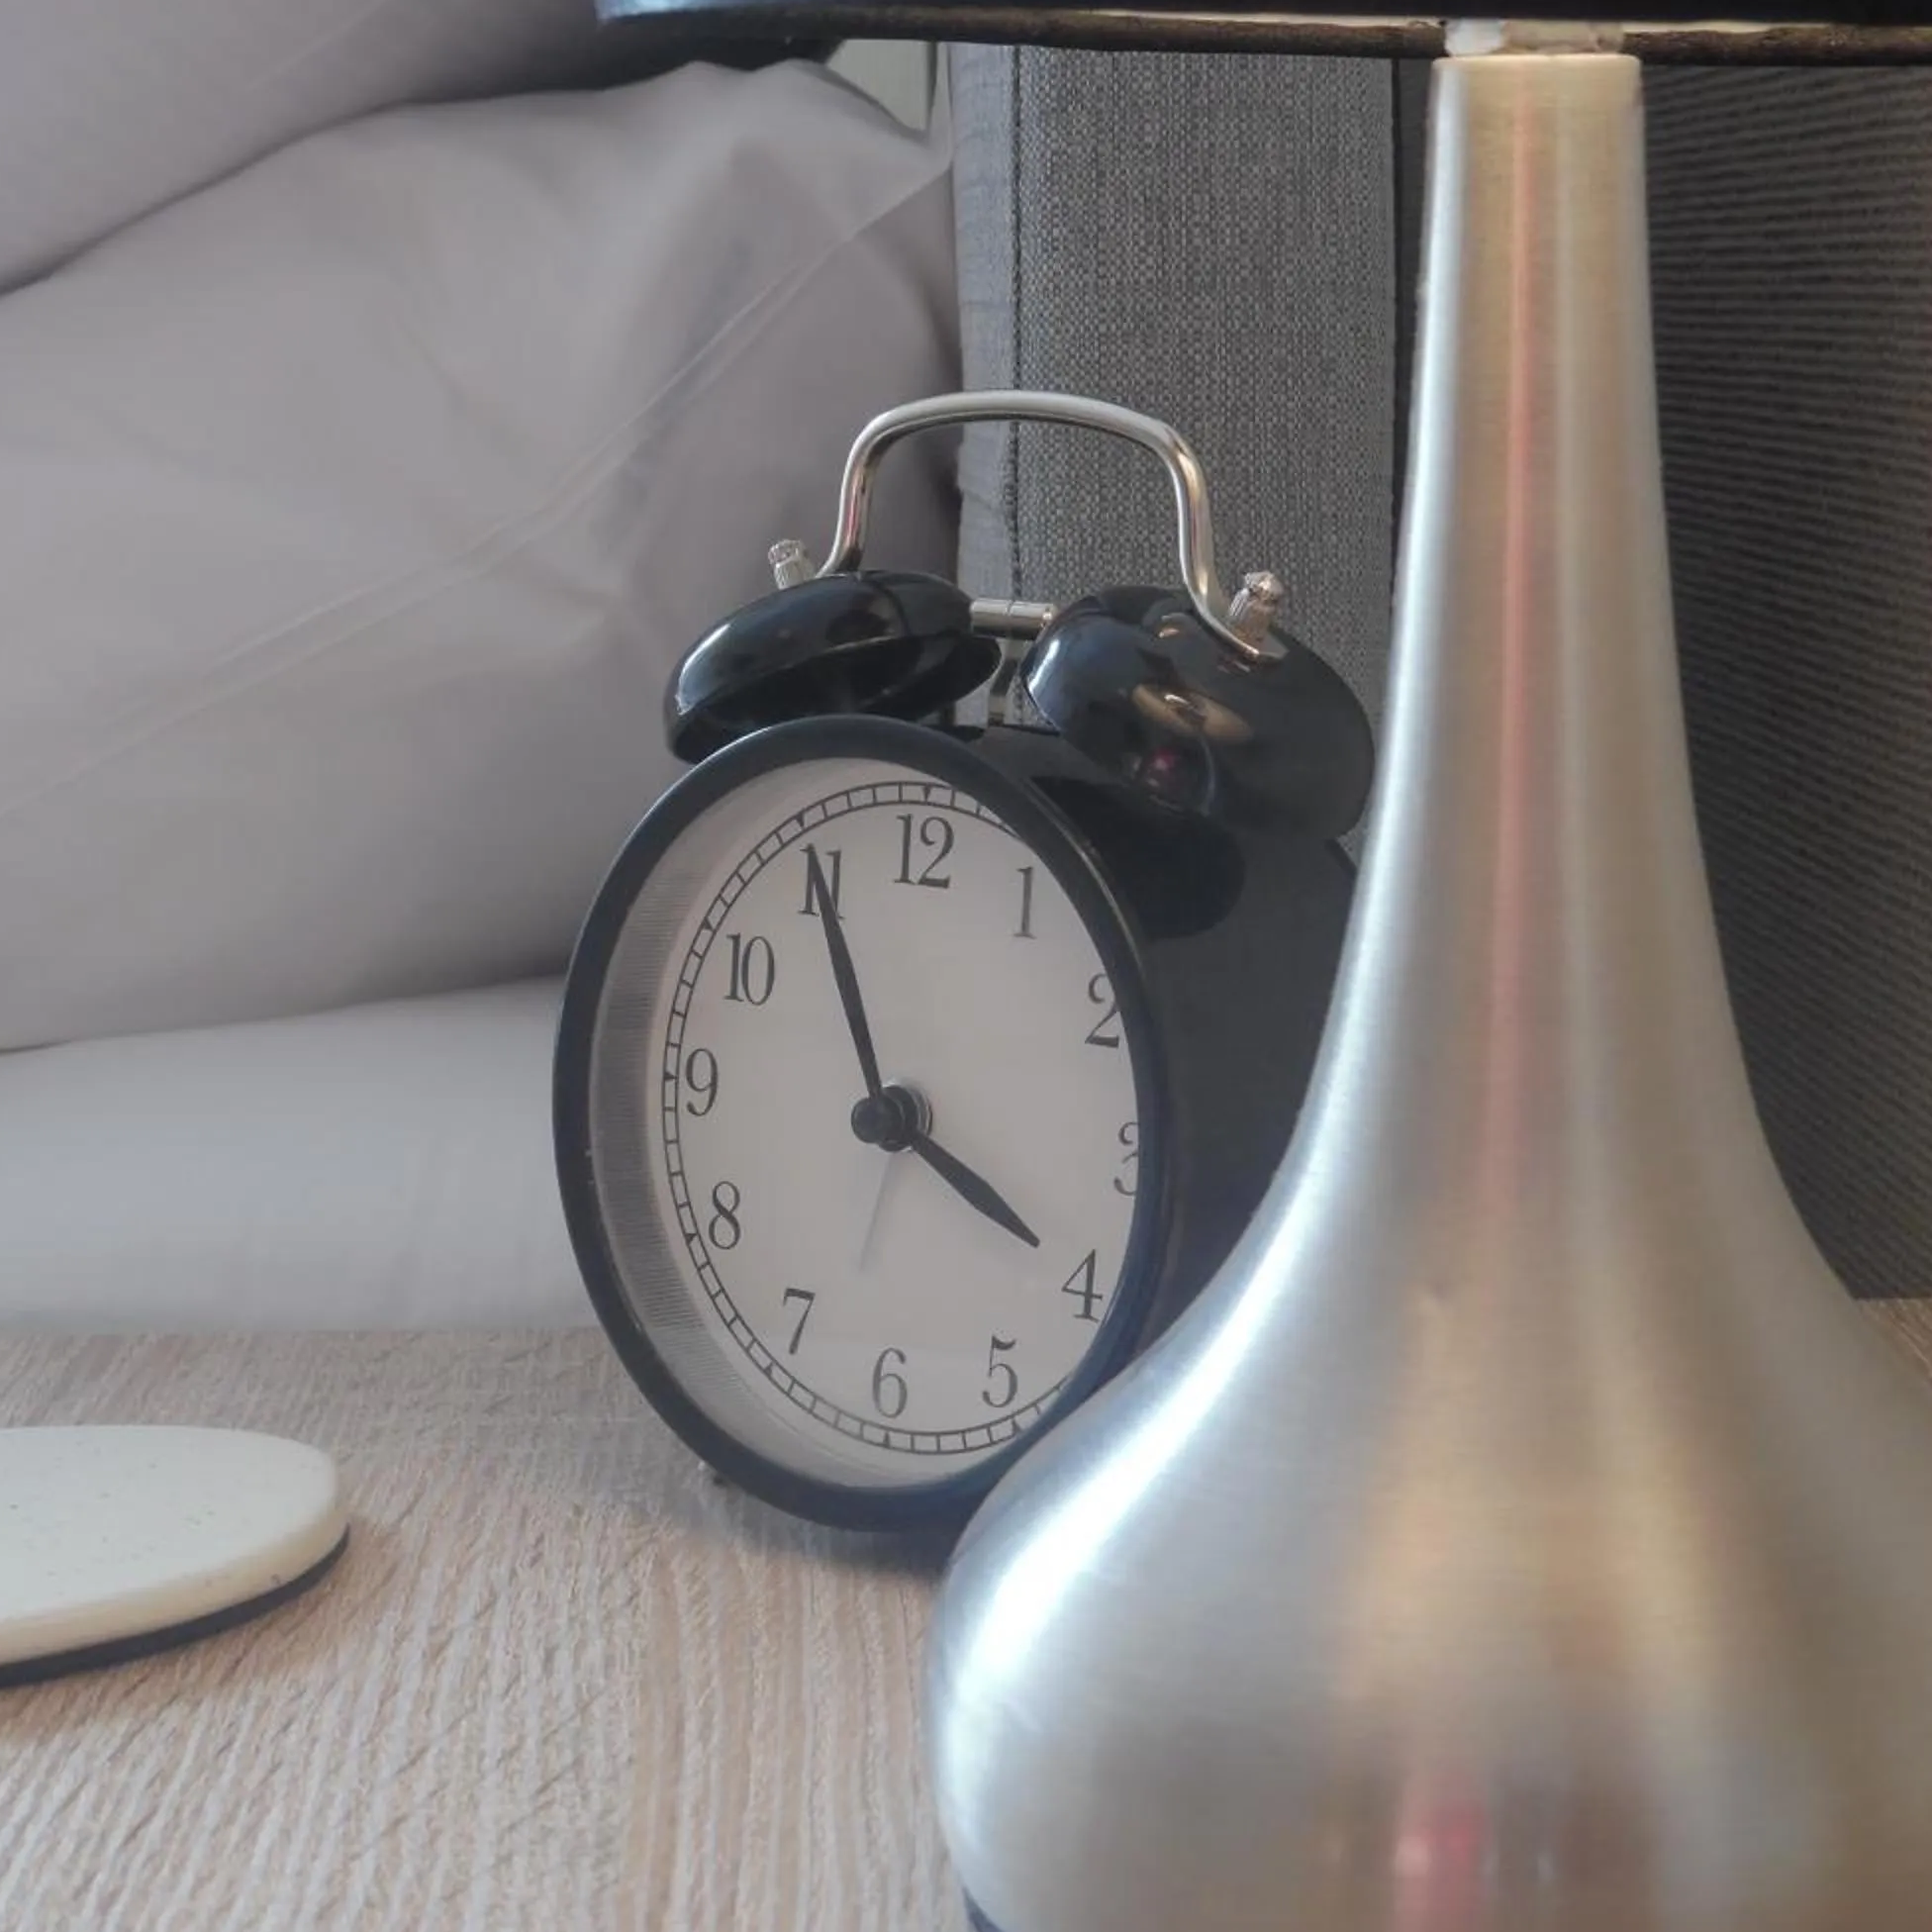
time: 3:55
